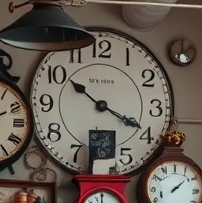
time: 10:19
